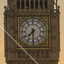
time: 7:30
